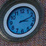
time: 3:12
